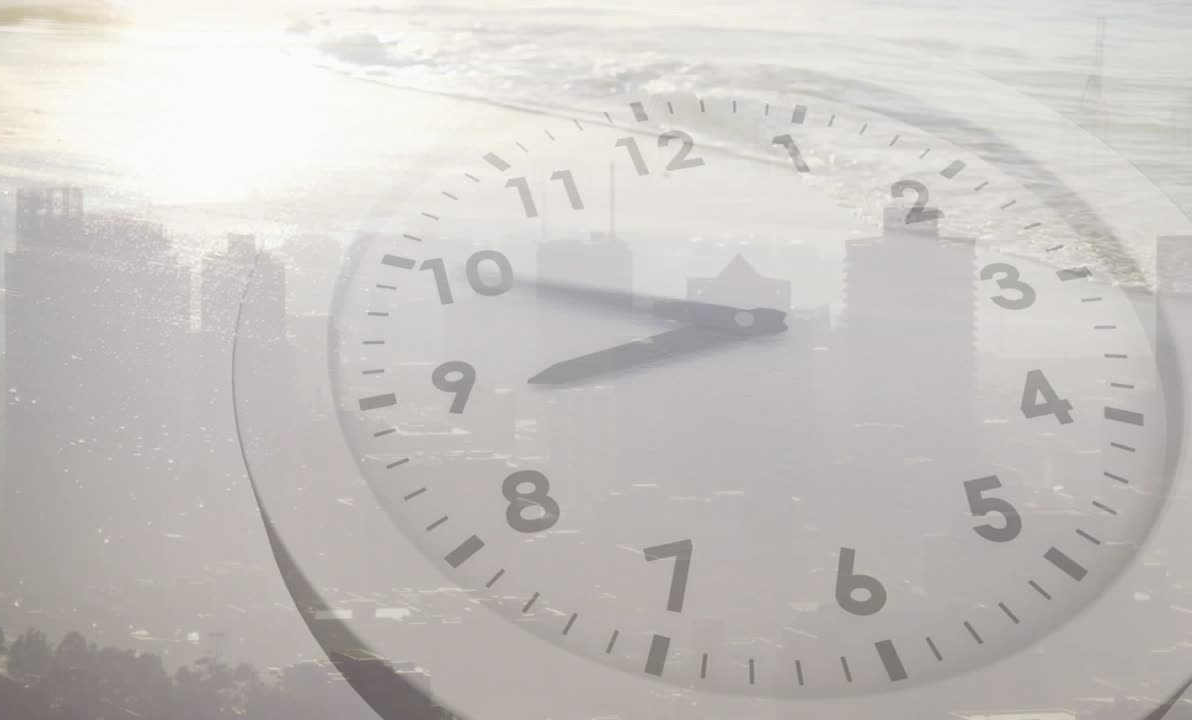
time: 8:49
